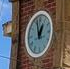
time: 12:57
